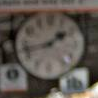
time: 1:42
